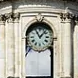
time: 11:07
